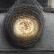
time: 11:07
